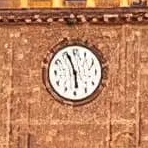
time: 5:56
